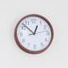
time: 12:52
